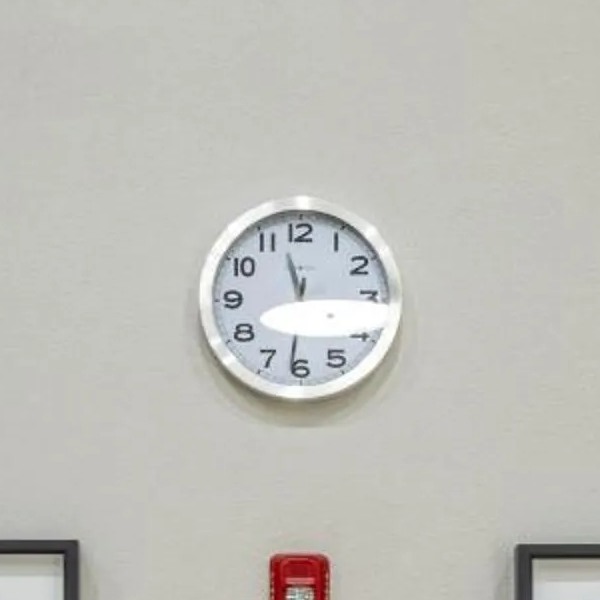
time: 11:31
